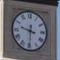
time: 9:30
